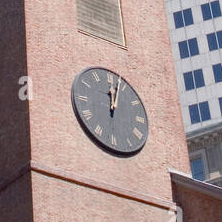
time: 12:03
